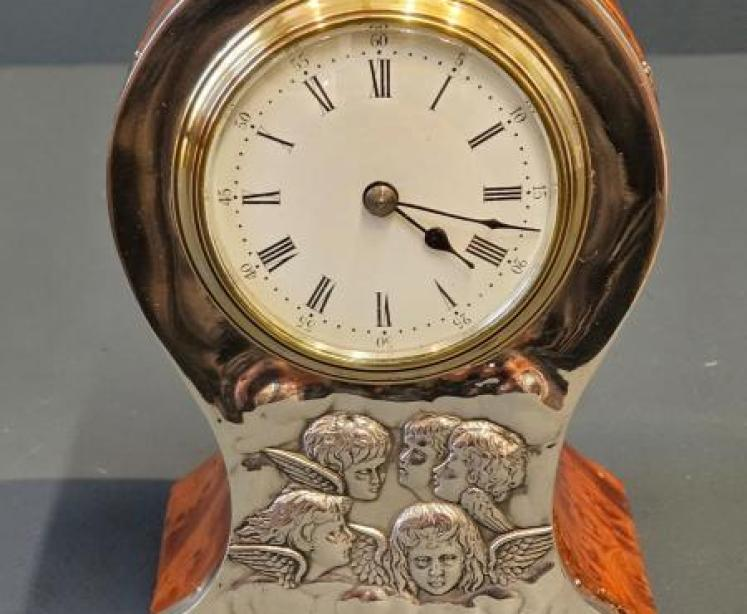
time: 4:17
